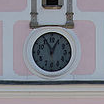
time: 12:55
